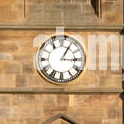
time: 3:04
